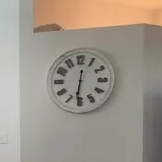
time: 6:31
